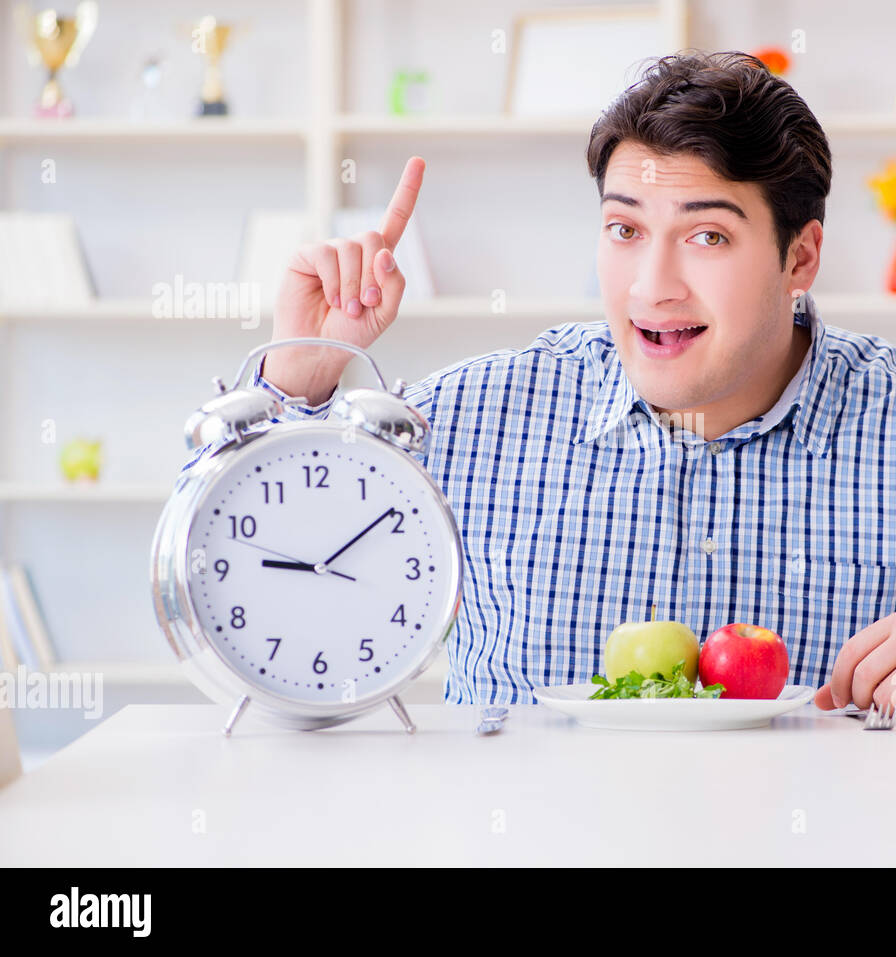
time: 9:09
